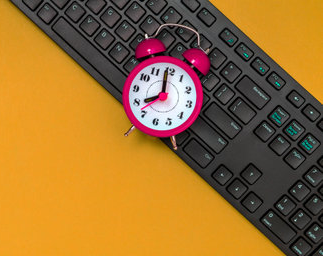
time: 7:59
